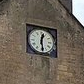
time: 12:28
